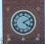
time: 4:10
